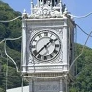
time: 1:37
